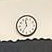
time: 11:35
